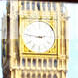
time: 2:46
